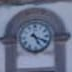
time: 5:18
